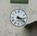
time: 3:21
